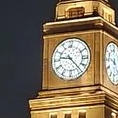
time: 9:22
